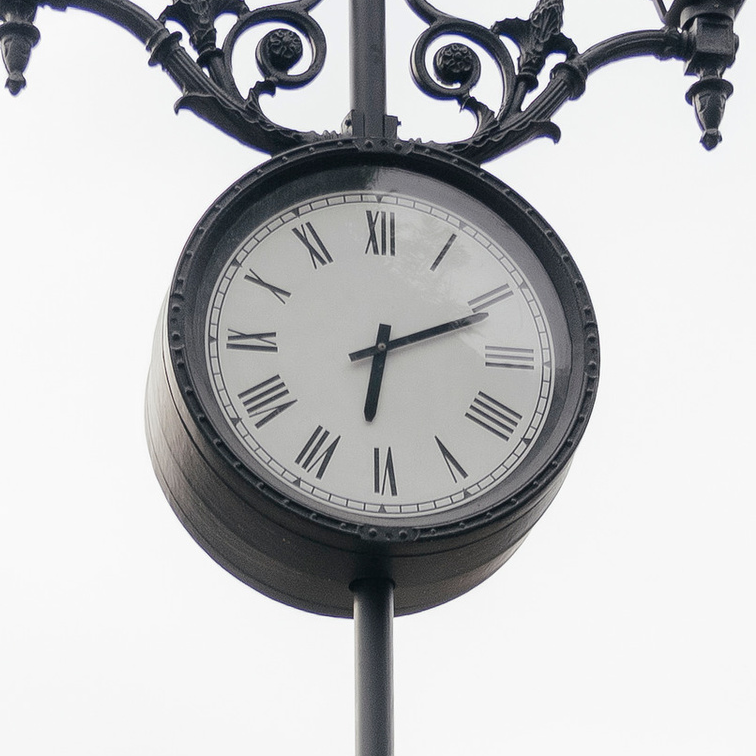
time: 6:11
